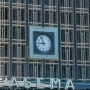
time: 8:56
